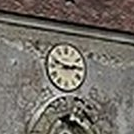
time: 2:48
